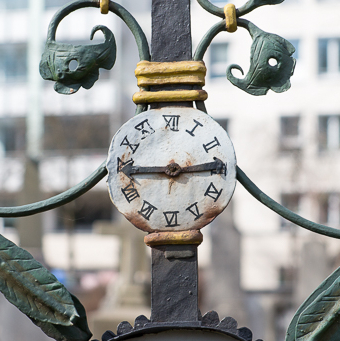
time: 2:45
